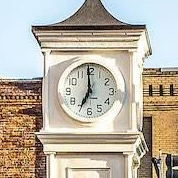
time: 6:59
